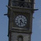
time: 4:31
